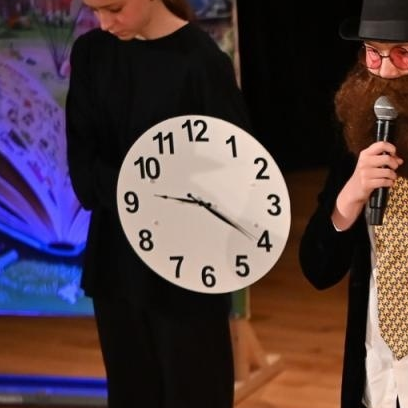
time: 9:20
